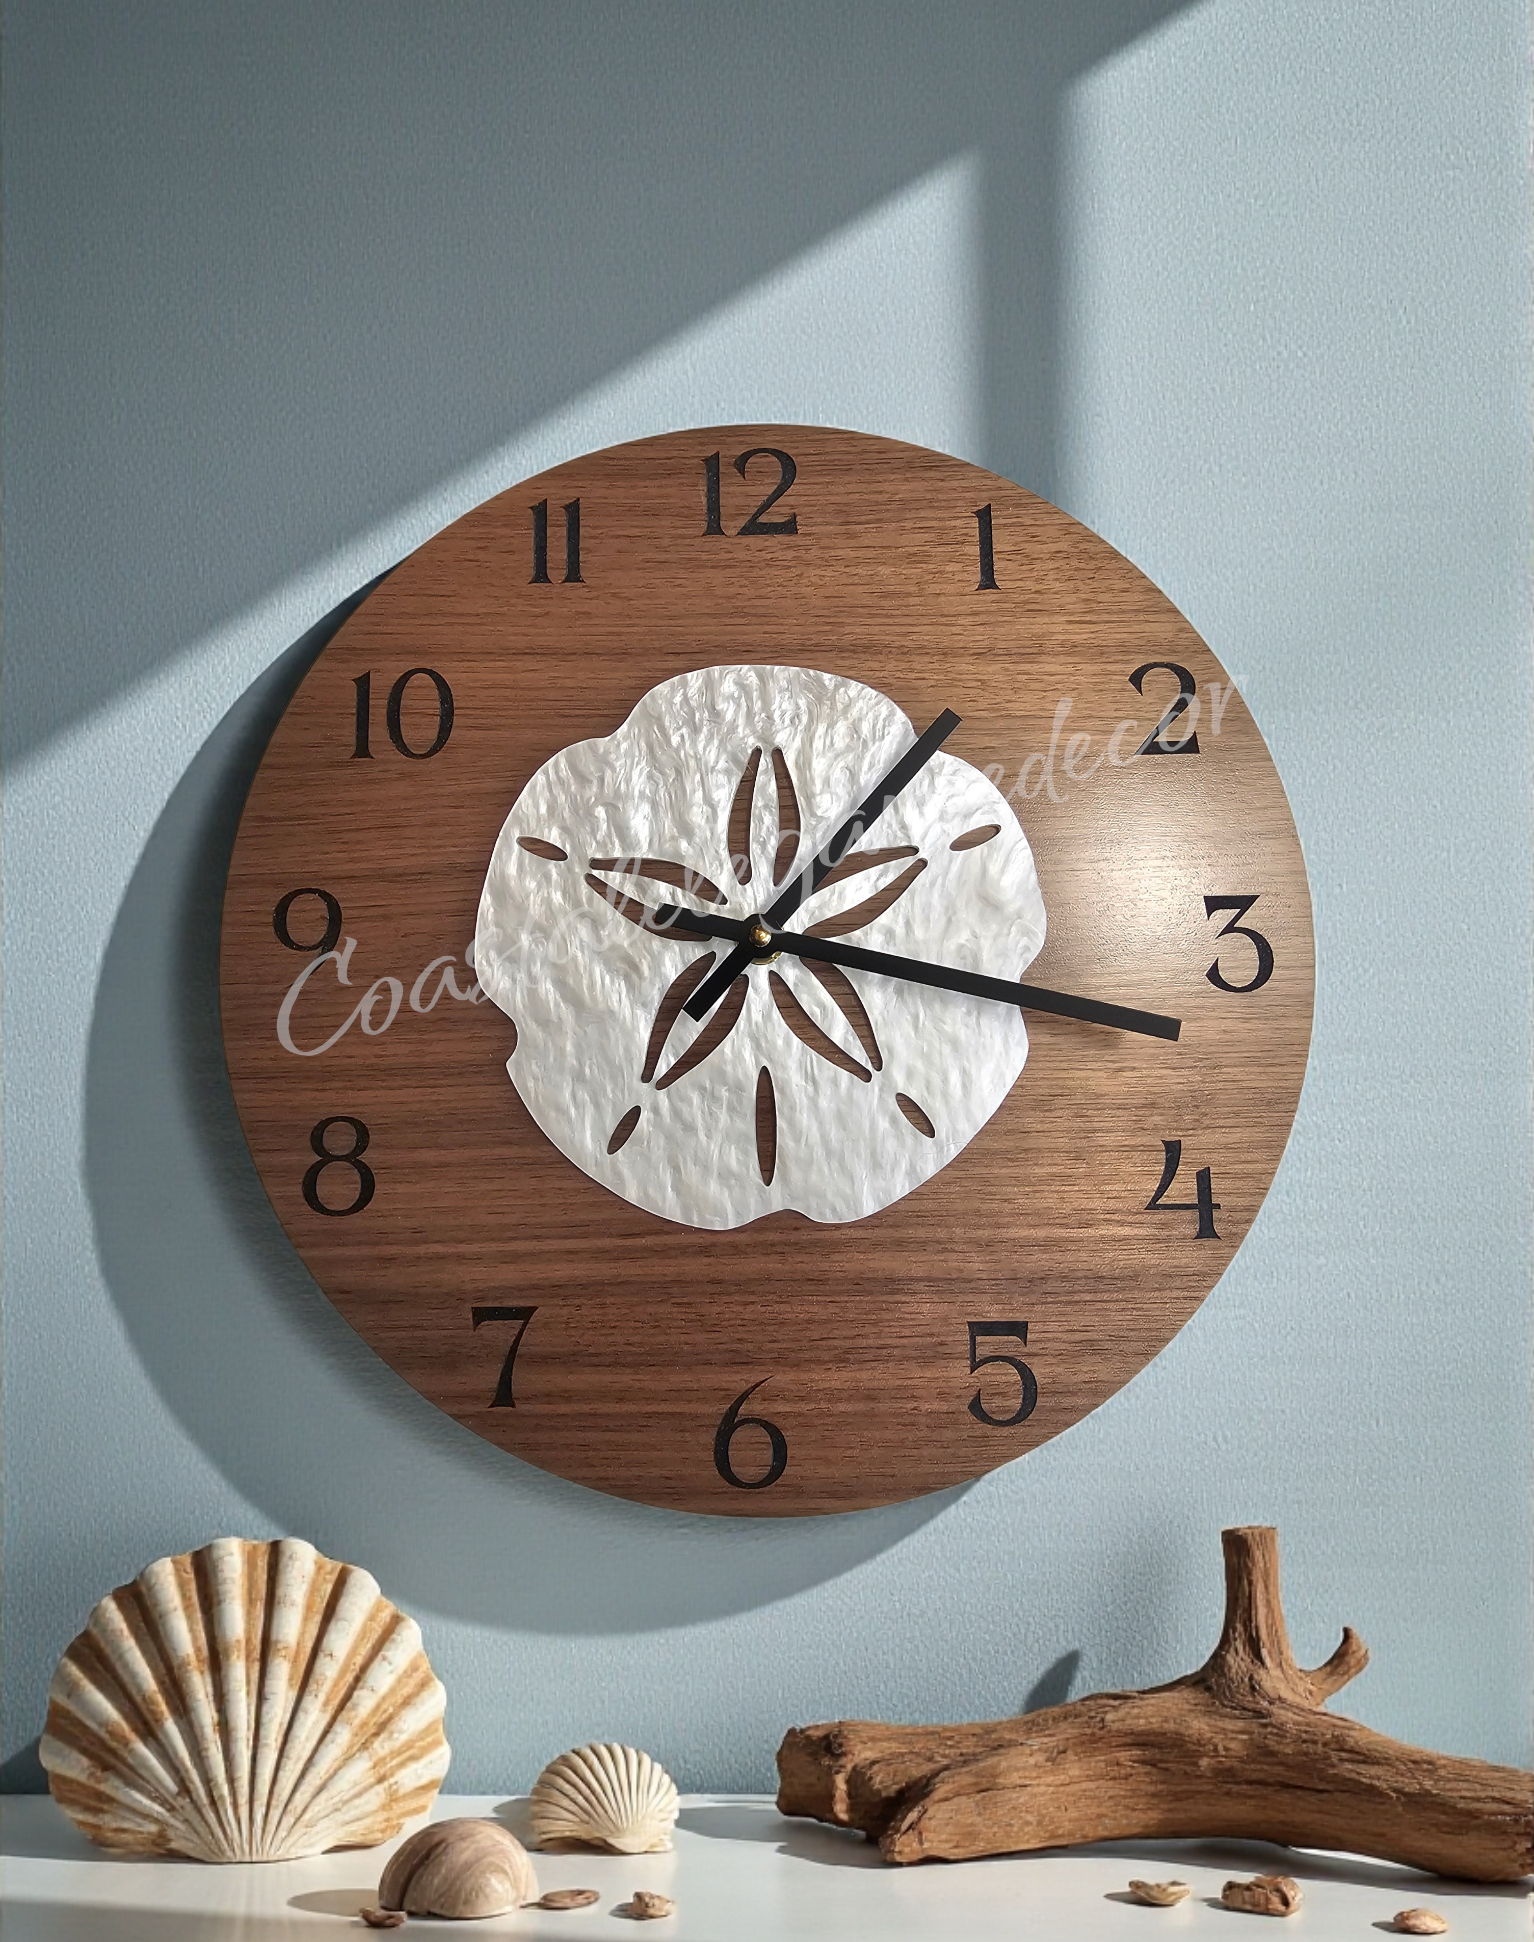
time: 1:16
